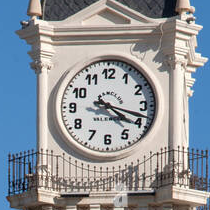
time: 4:17
